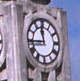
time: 11:44
